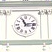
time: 11:13
